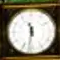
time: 11:31
